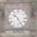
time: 10:25
